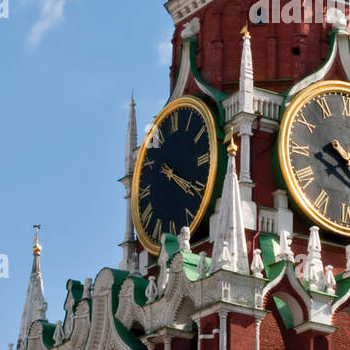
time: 4:20
